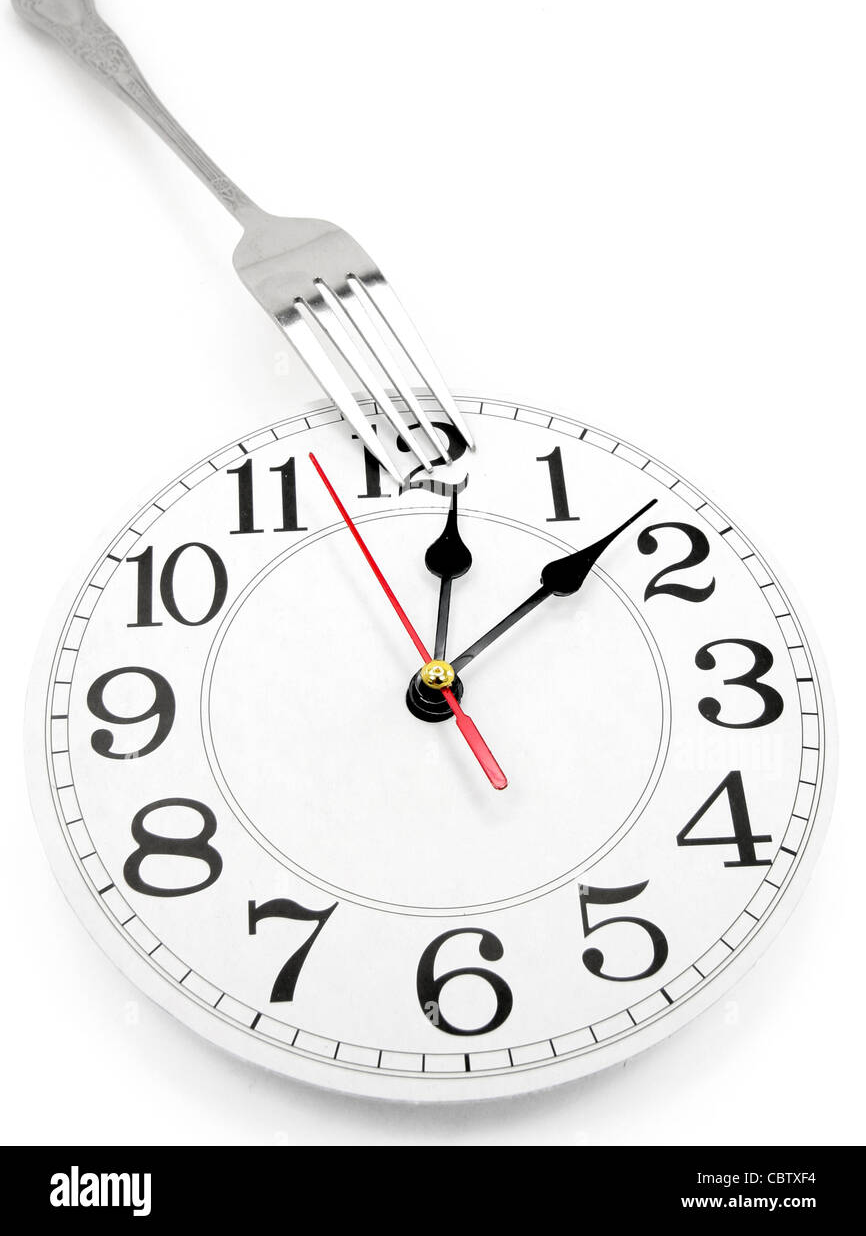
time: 12:08
